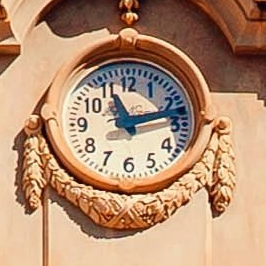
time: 11:12
